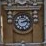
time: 2:13
